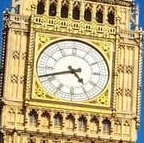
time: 4:42
